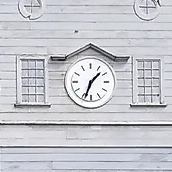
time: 1:33
